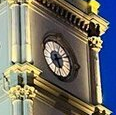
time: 5:11
